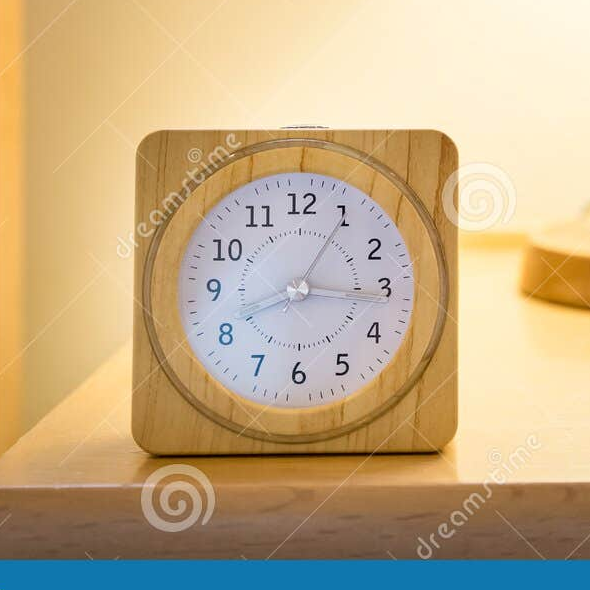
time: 8:15
